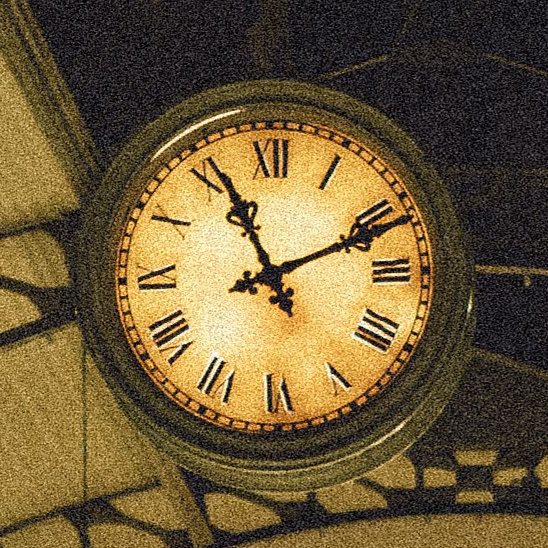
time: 11:11
